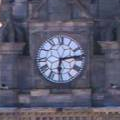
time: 6:13
